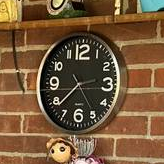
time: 2:38
